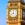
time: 7:59
